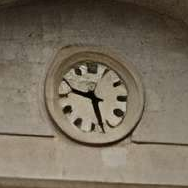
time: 9:27
